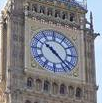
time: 10:22
